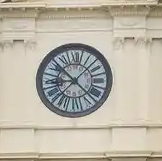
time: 8:52
